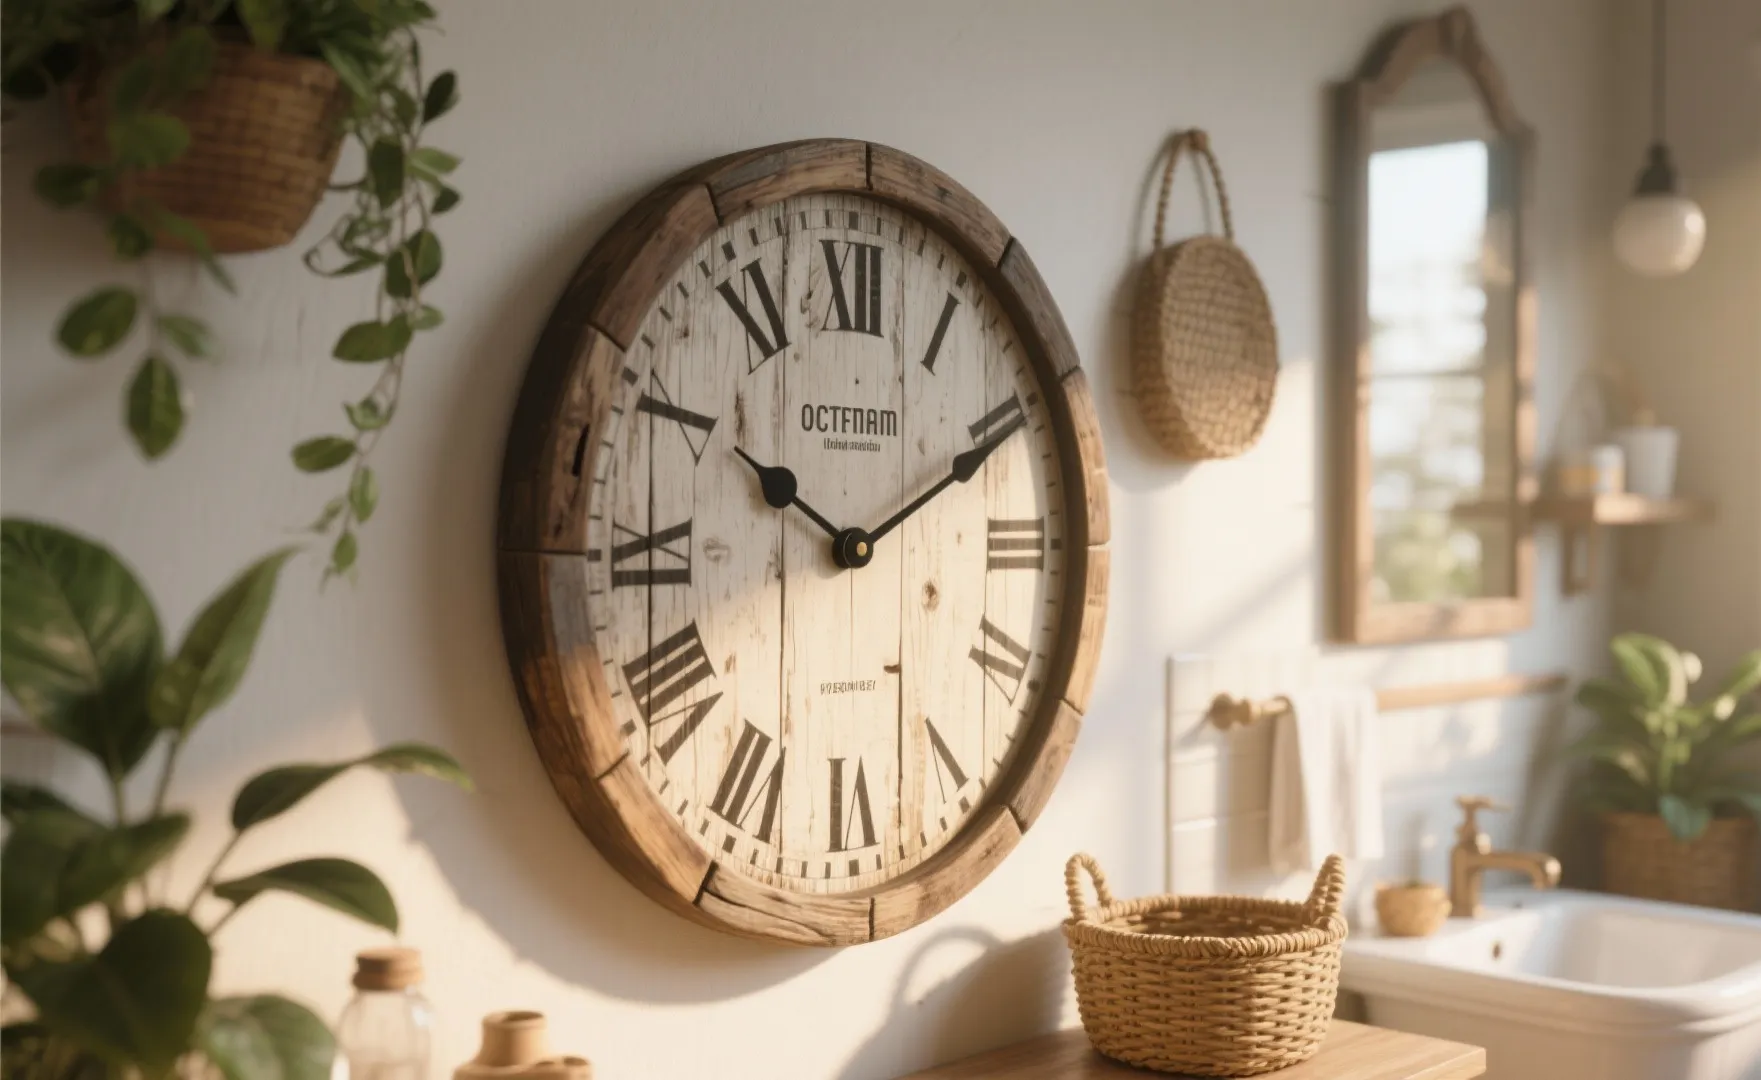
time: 10:10
